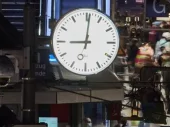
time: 9:01
